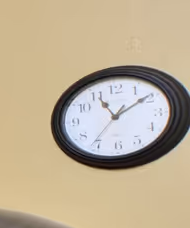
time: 11:09
